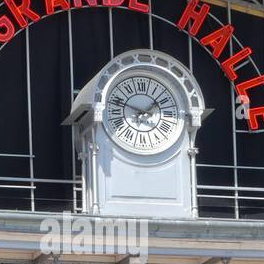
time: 1:46
